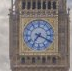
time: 7:18
